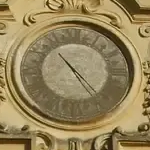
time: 10:23
